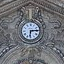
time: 6:14
